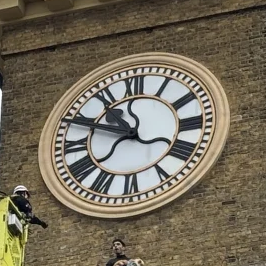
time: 10:48
